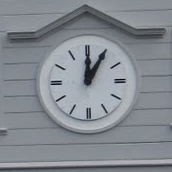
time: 12:05
